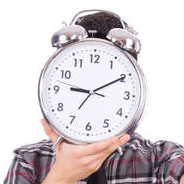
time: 9:10
